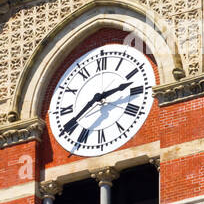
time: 2:40
